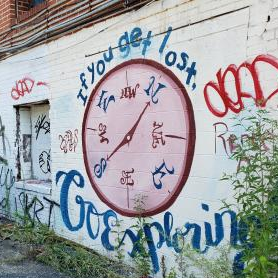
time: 8:06
